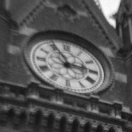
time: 2:55
